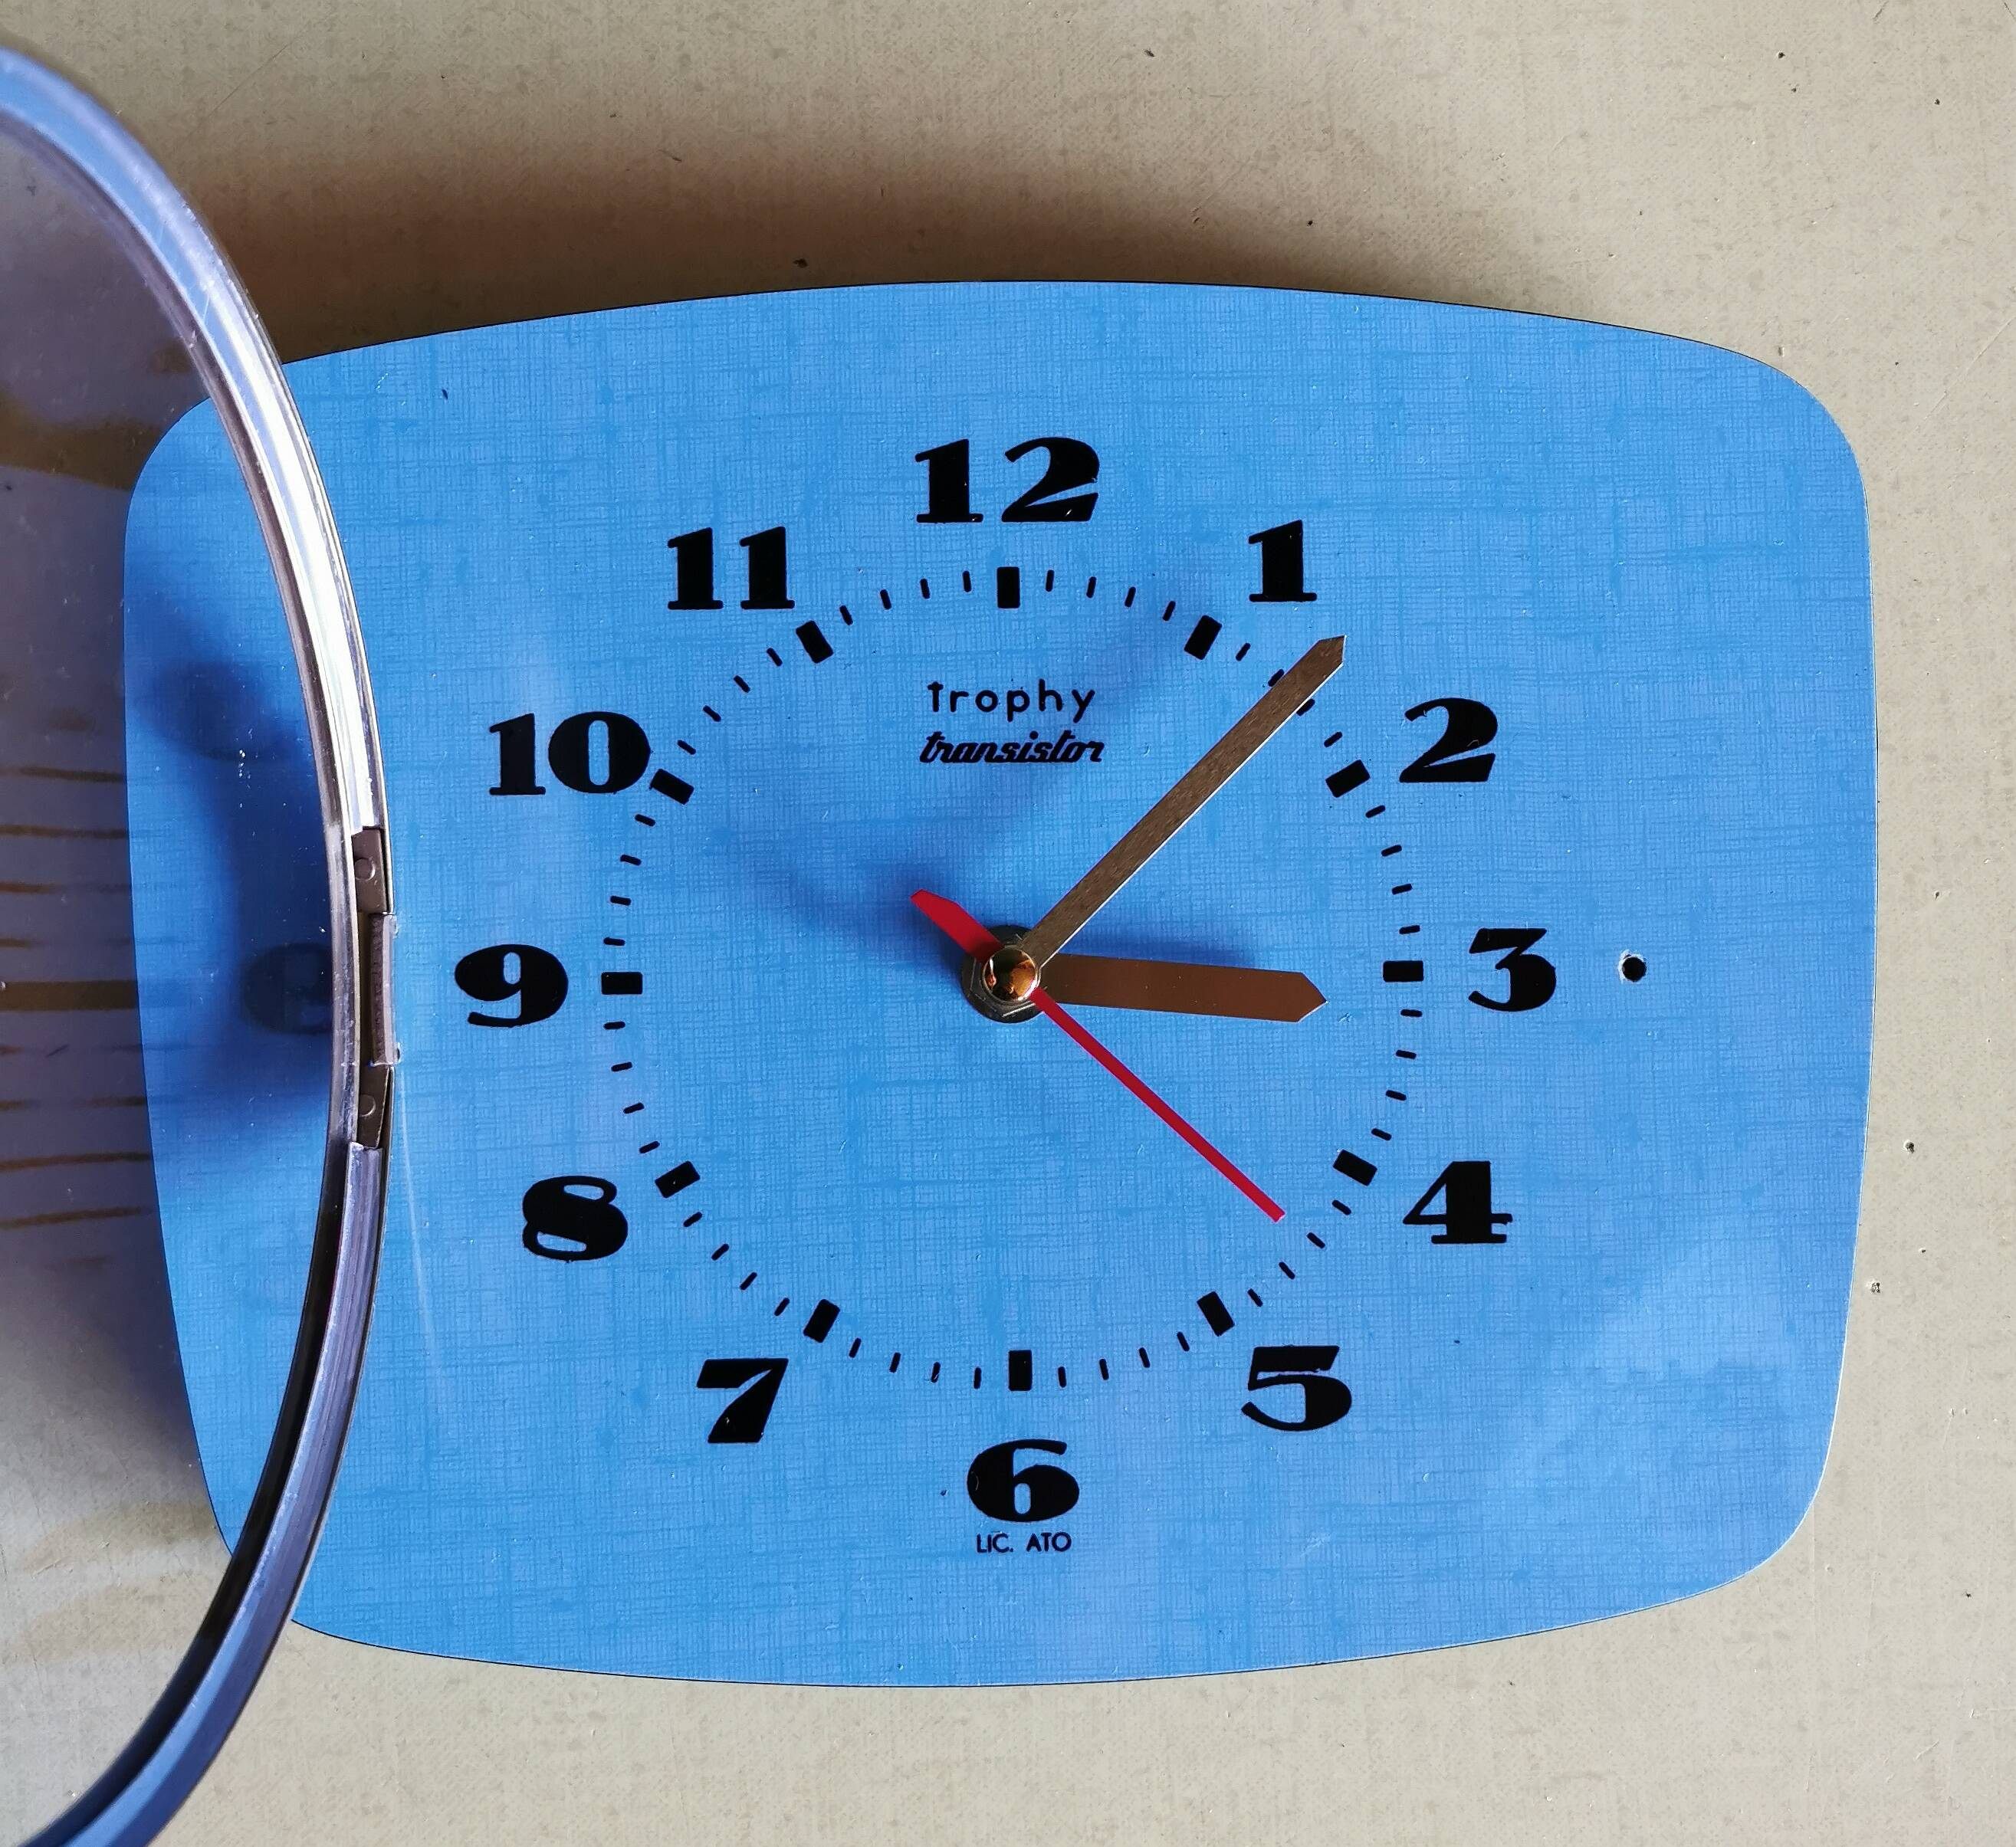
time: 3:07
